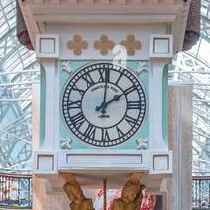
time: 2:01
